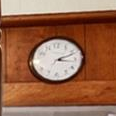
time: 3:11
